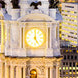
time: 5:00
